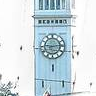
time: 9:13
